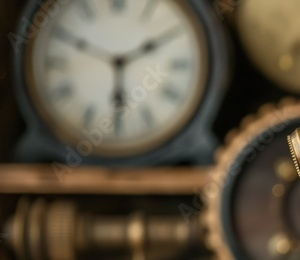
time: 5:49
